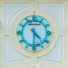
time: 4:30
